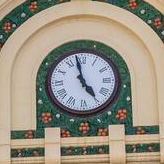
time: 4:58
